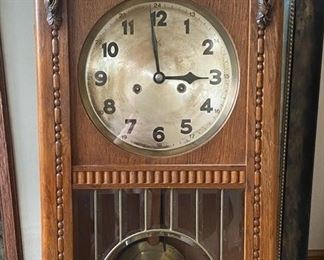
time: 2:58
